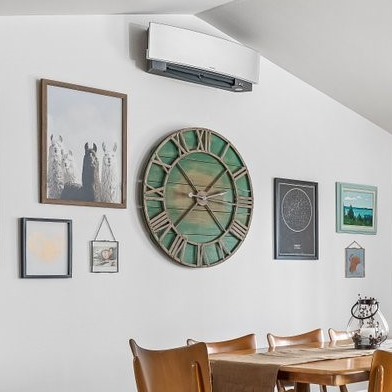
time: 10:37
